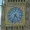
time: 4:33
